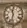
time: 11:32
